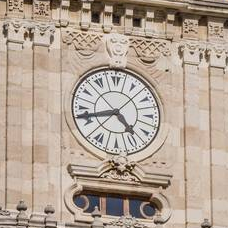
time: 4:42
